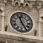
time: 11:24
